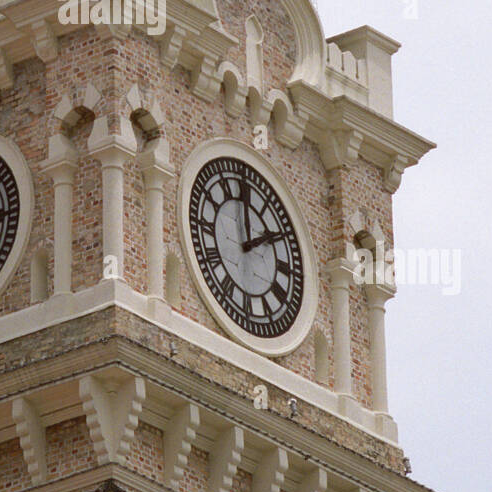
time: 1:59
